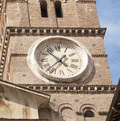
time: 10:37
